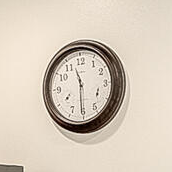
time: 11:30
